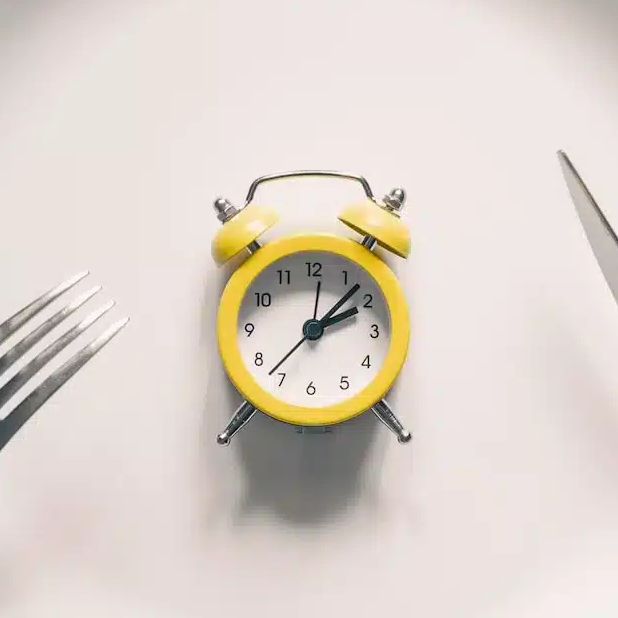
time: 2:07
